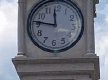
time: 11:46
